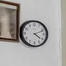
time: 4:11
